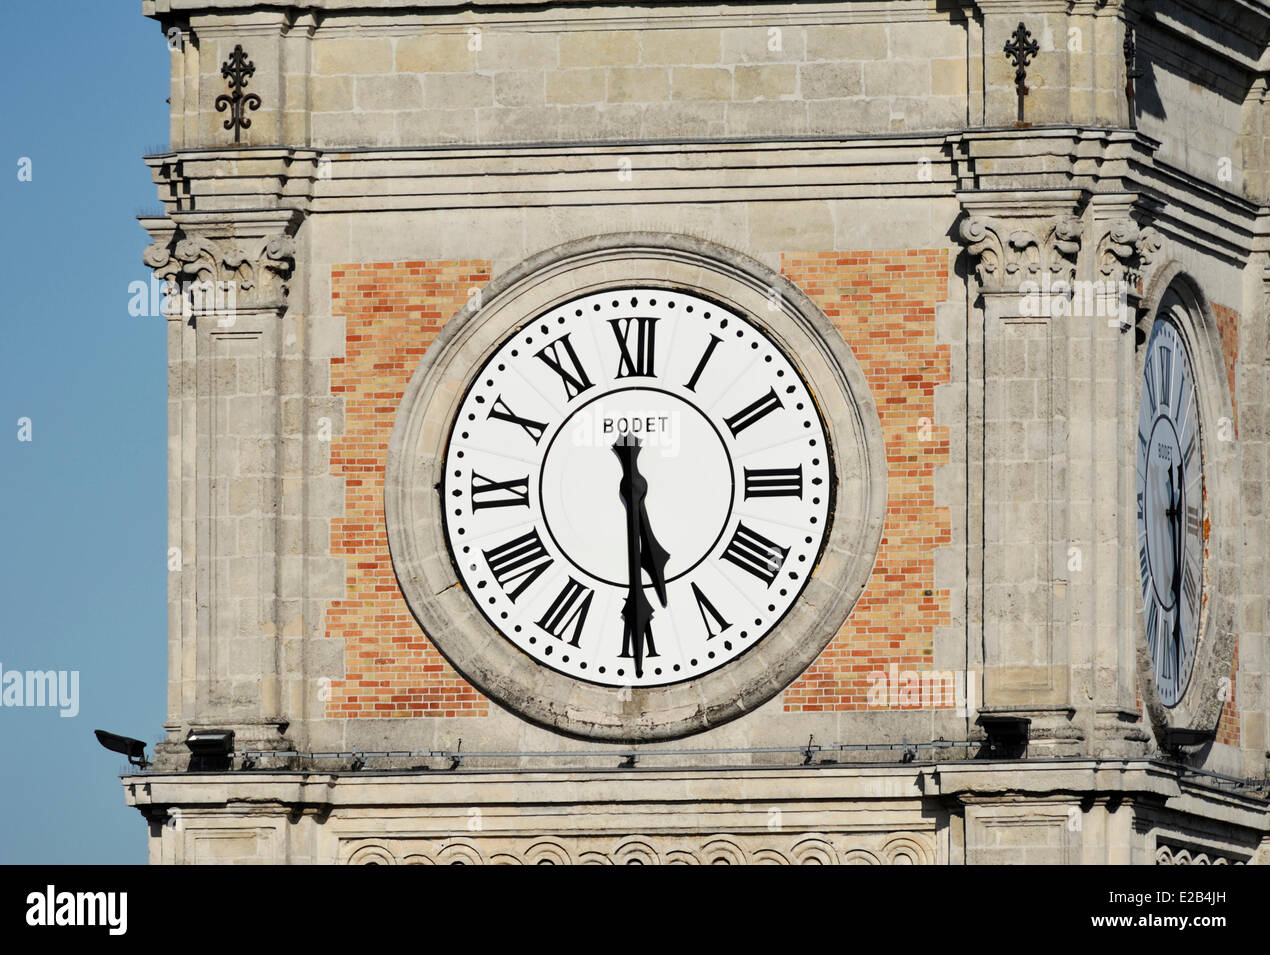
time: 5:29
